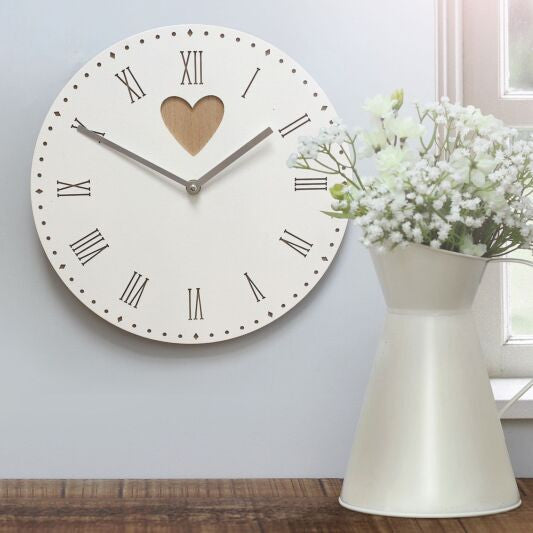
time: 1:49
